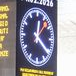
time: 12:21
